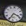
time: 3:34
